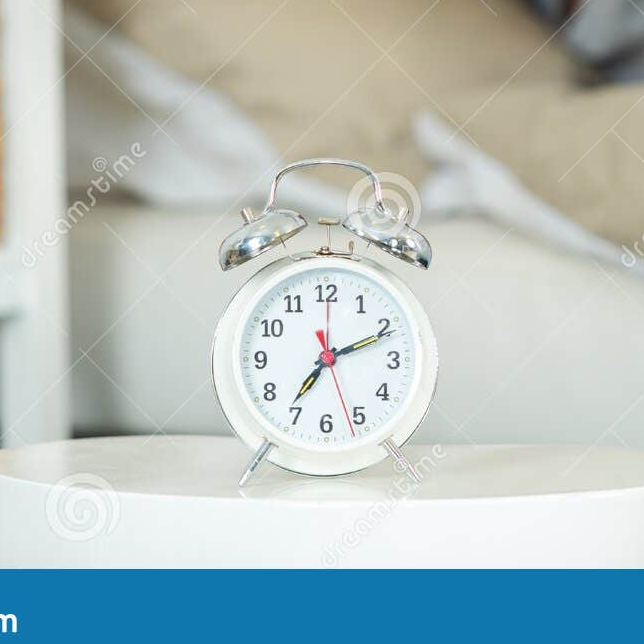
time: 7:11
